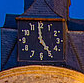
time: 4:59
